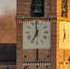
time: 6:59
